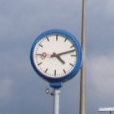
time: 4:12
